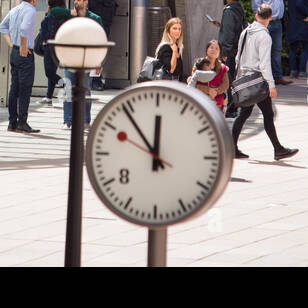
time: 11:53
